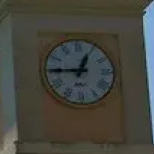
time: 12:45
